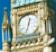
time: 12:32
